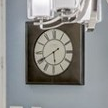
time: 5:40
